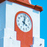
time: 4:02
